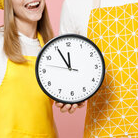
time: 11:55
